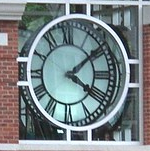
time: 4:08
